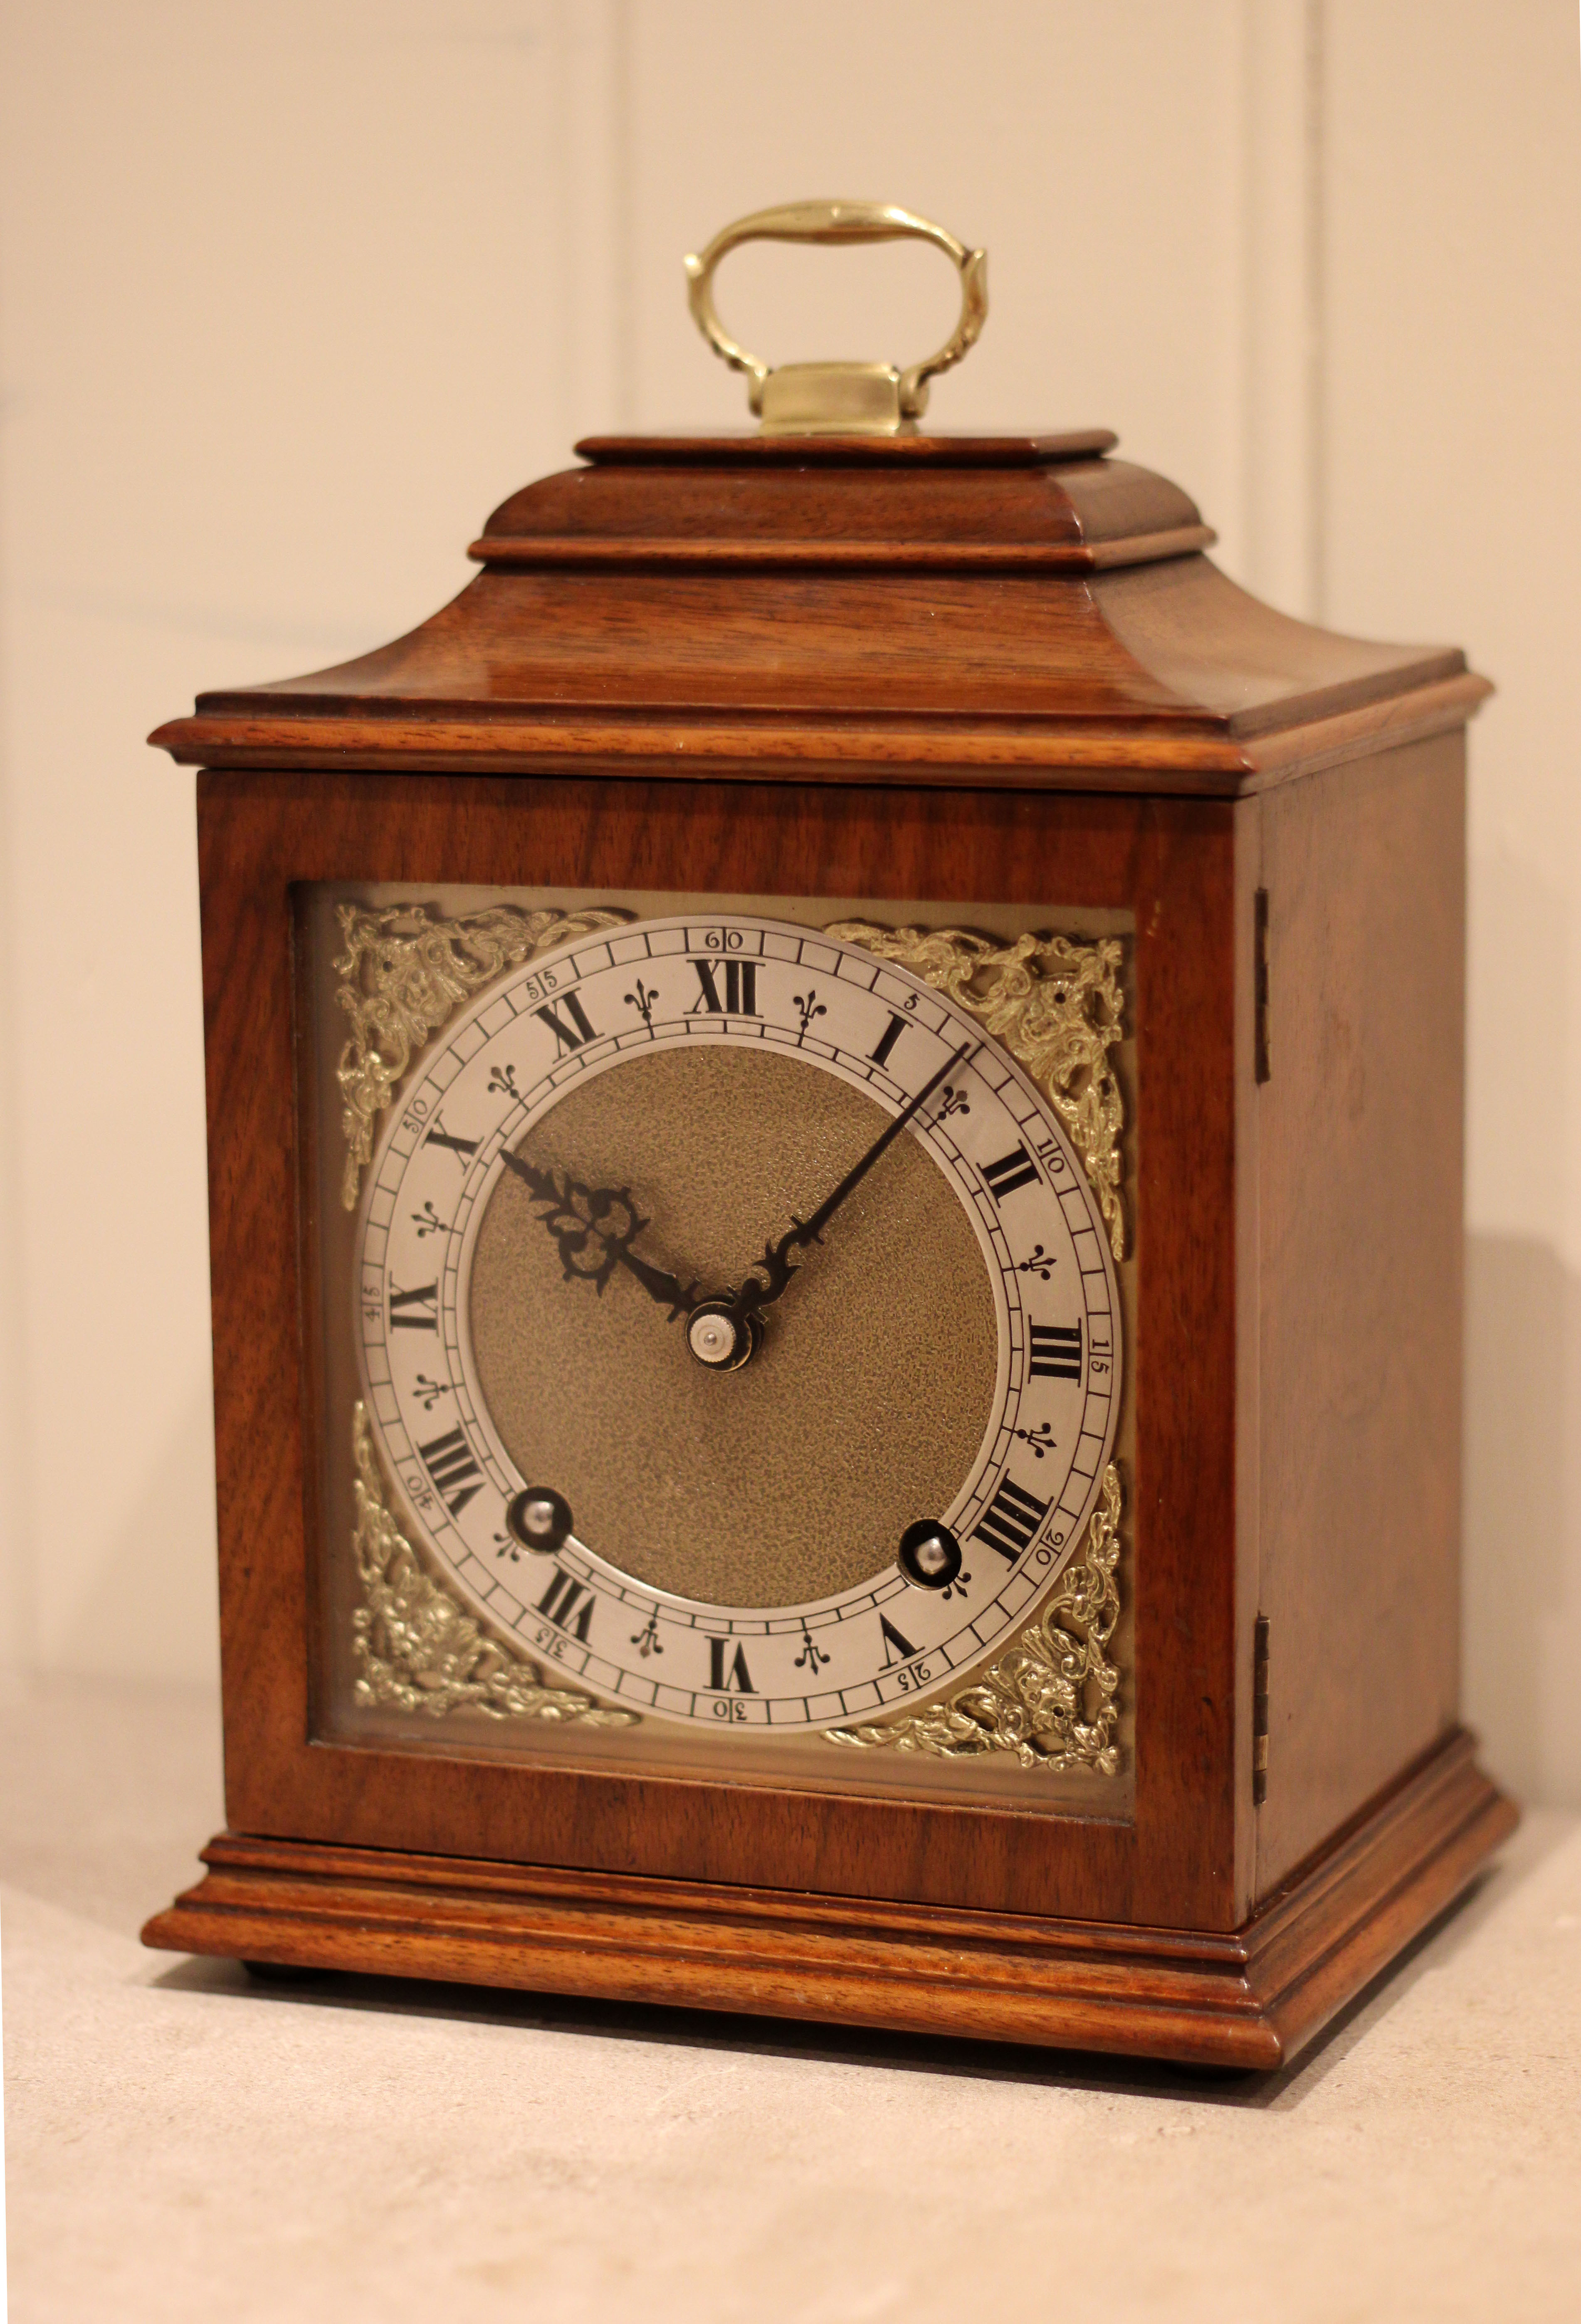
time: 10:07
